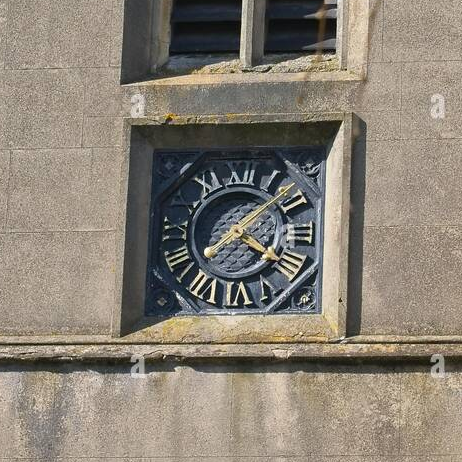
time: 4:08
